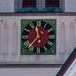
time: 11:37
